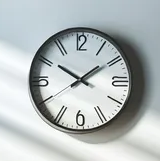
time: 1:50
